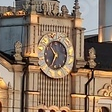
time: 10:34
